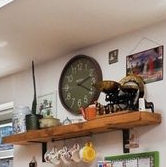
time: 2:19
